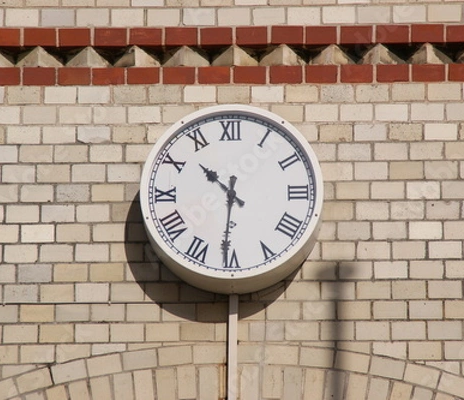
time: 10:31
